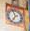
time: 6:56
